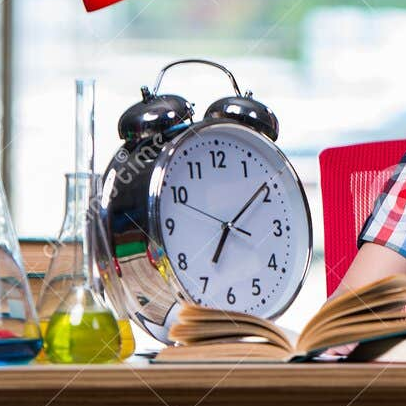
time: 7:08
